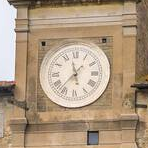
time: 11:37
